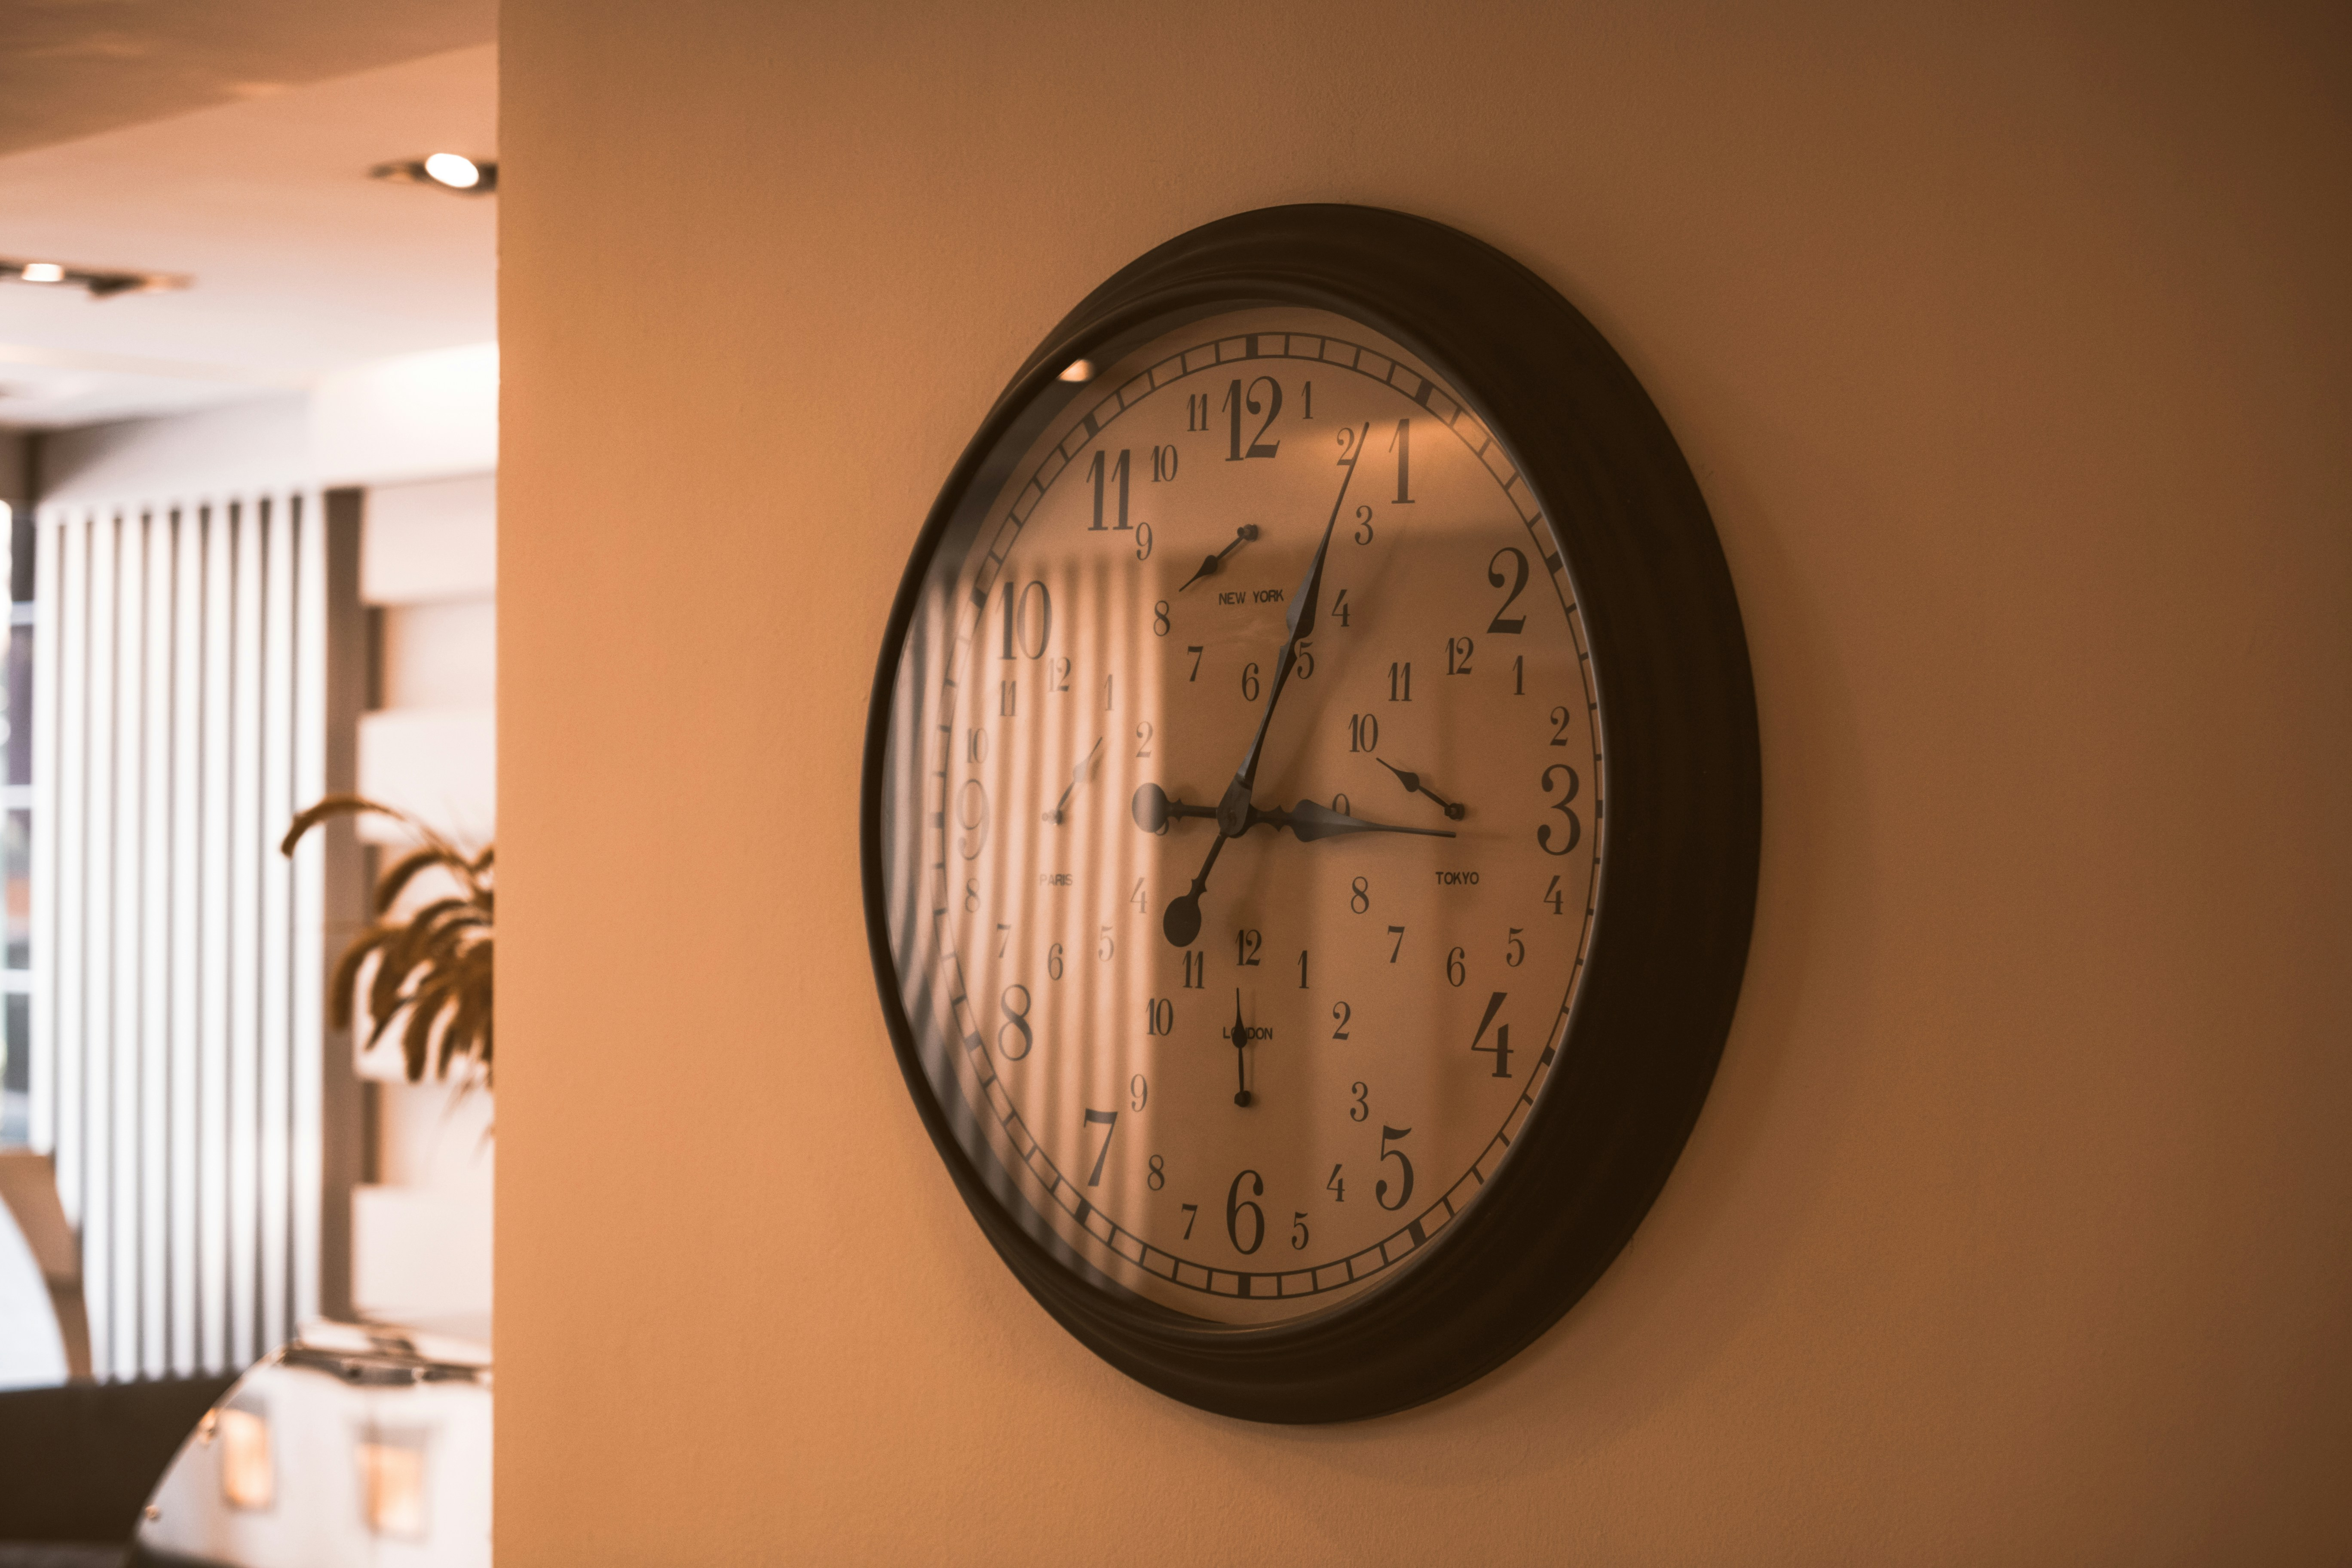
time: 3:03
